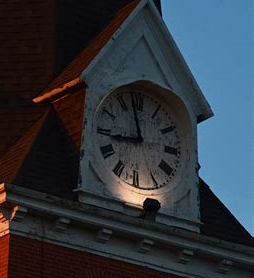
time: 8:57
